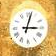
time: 3:02
